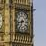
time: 6:42
